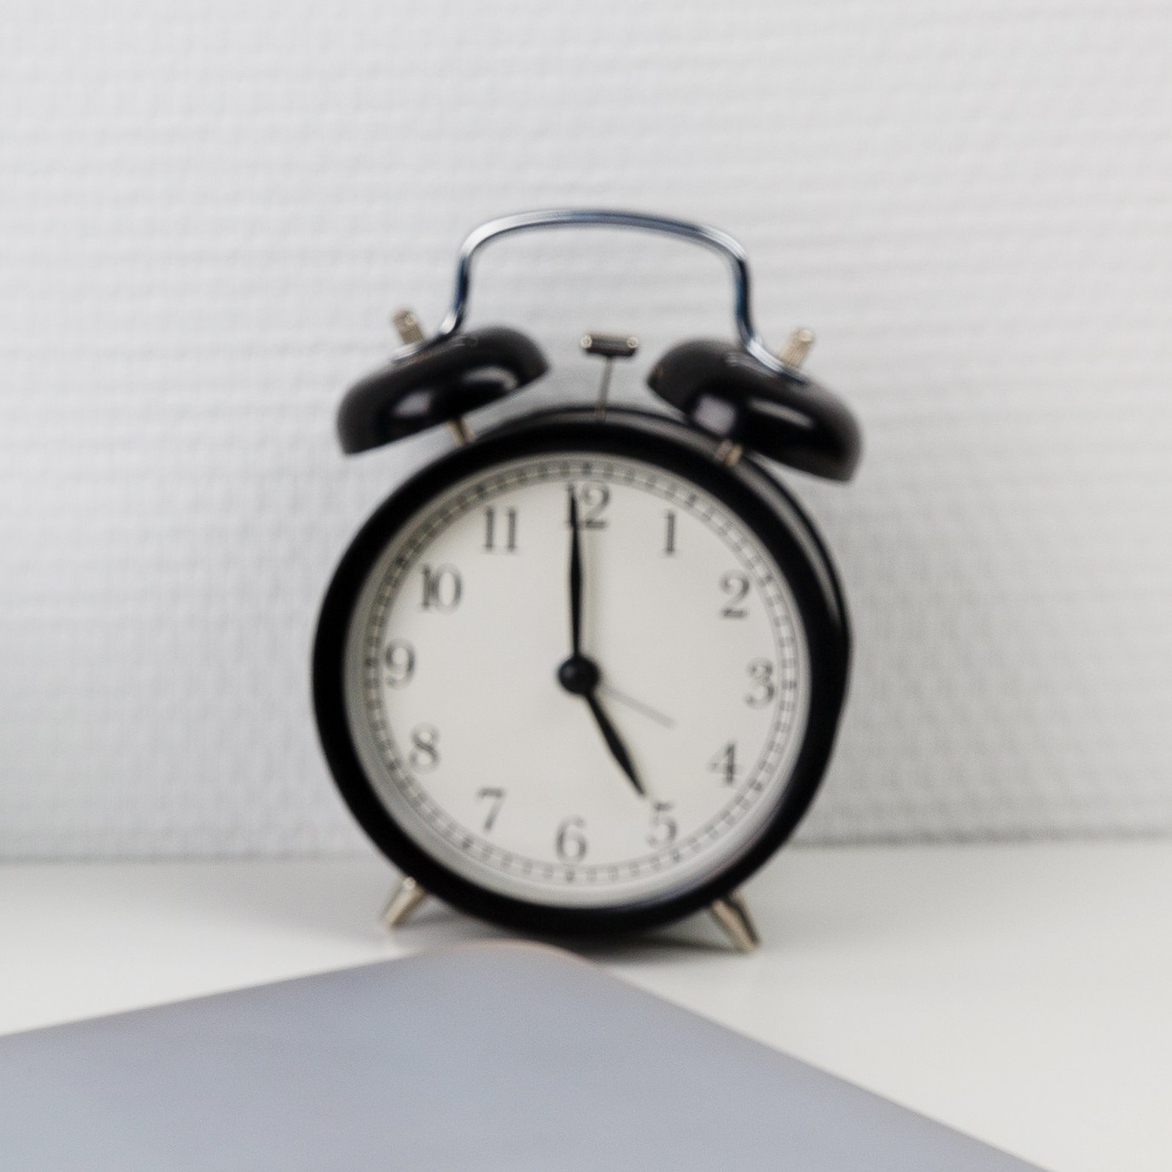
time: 4:59
